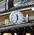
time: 11:32
